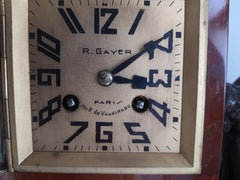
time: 3:09
